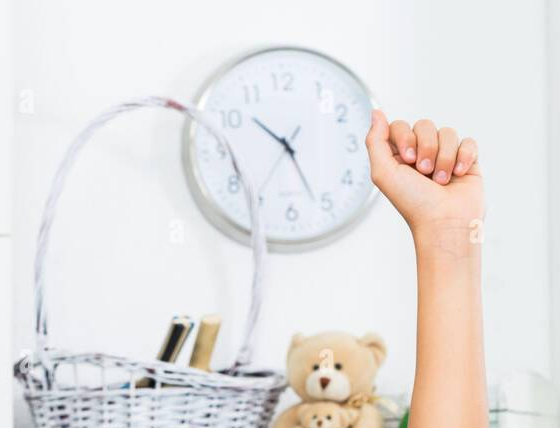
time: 10:26
